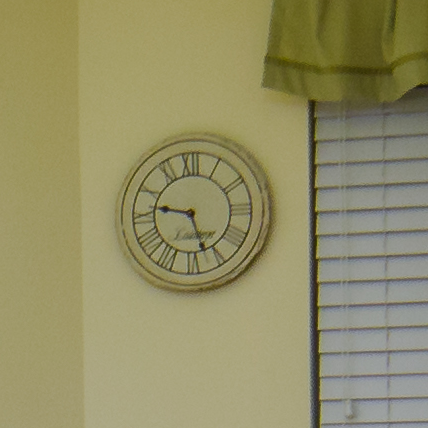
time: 9:26
